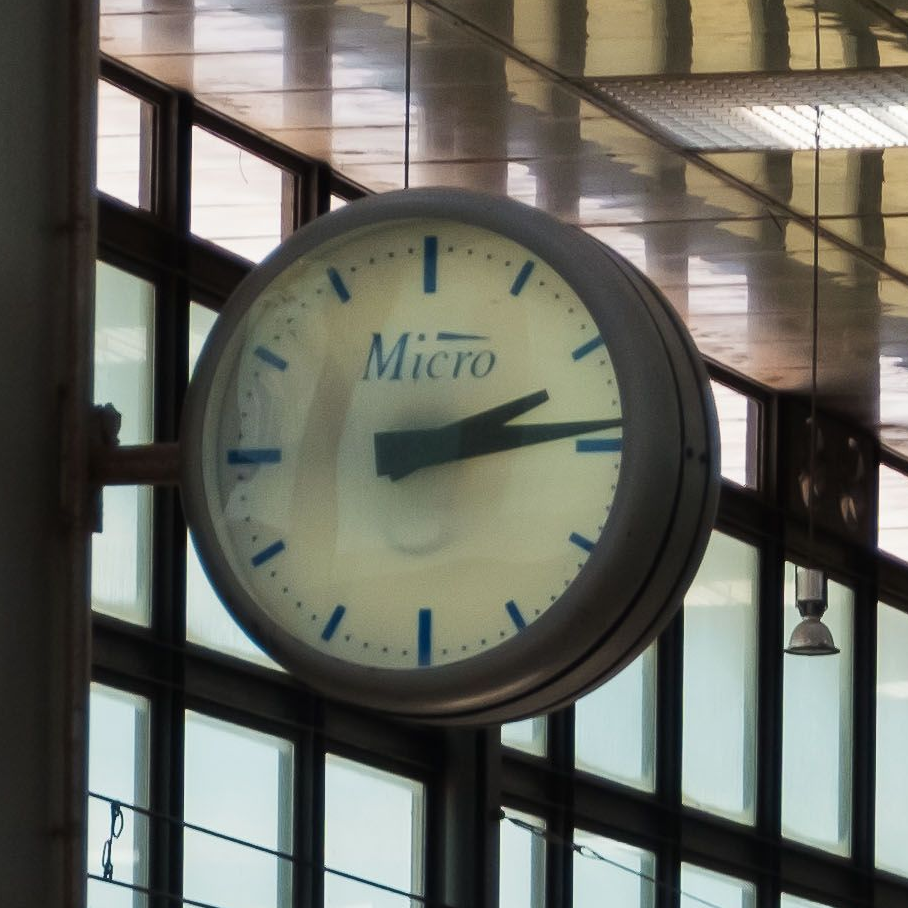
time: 2:14
